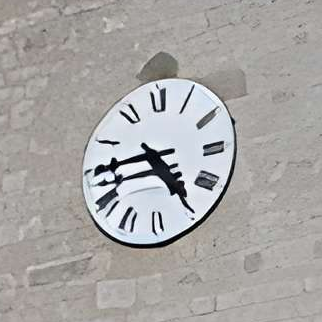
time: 4:44
